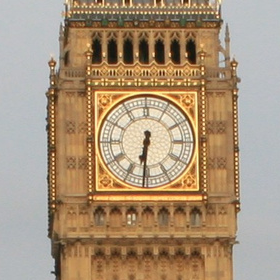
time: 6:31
